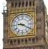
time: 9:20
